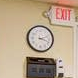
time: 2:18
